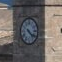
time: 4:21
